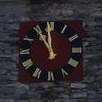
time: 10:59
